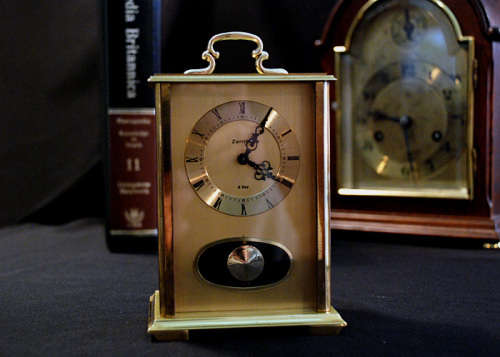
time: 1:18
